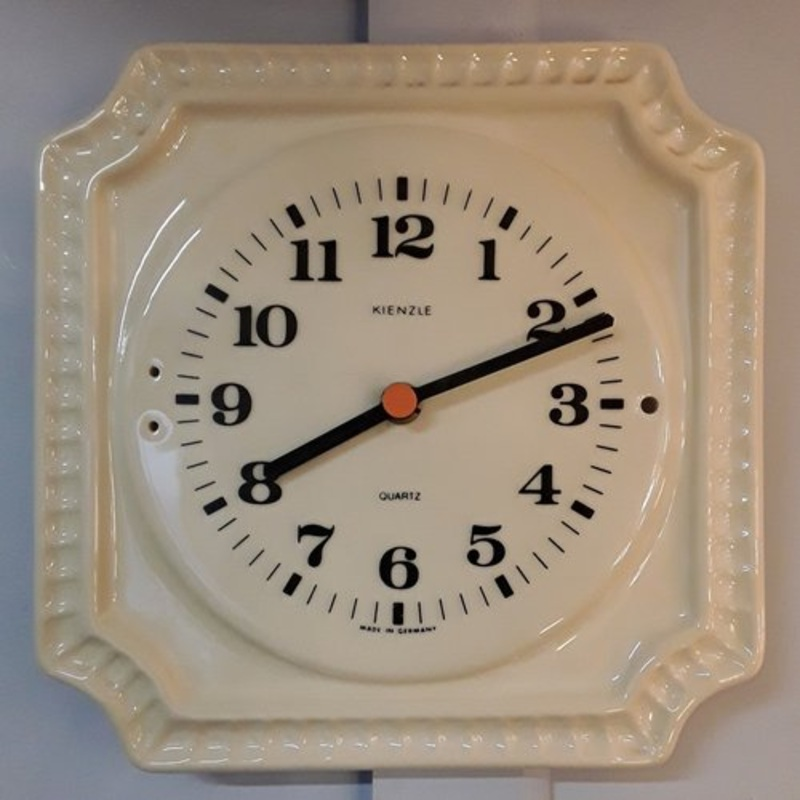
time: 8:11
